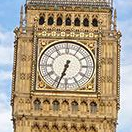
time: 6:33
